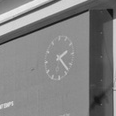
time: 2:23
